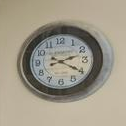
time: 2:20
